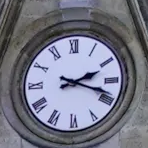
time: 2:18
